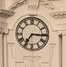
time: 7:15
